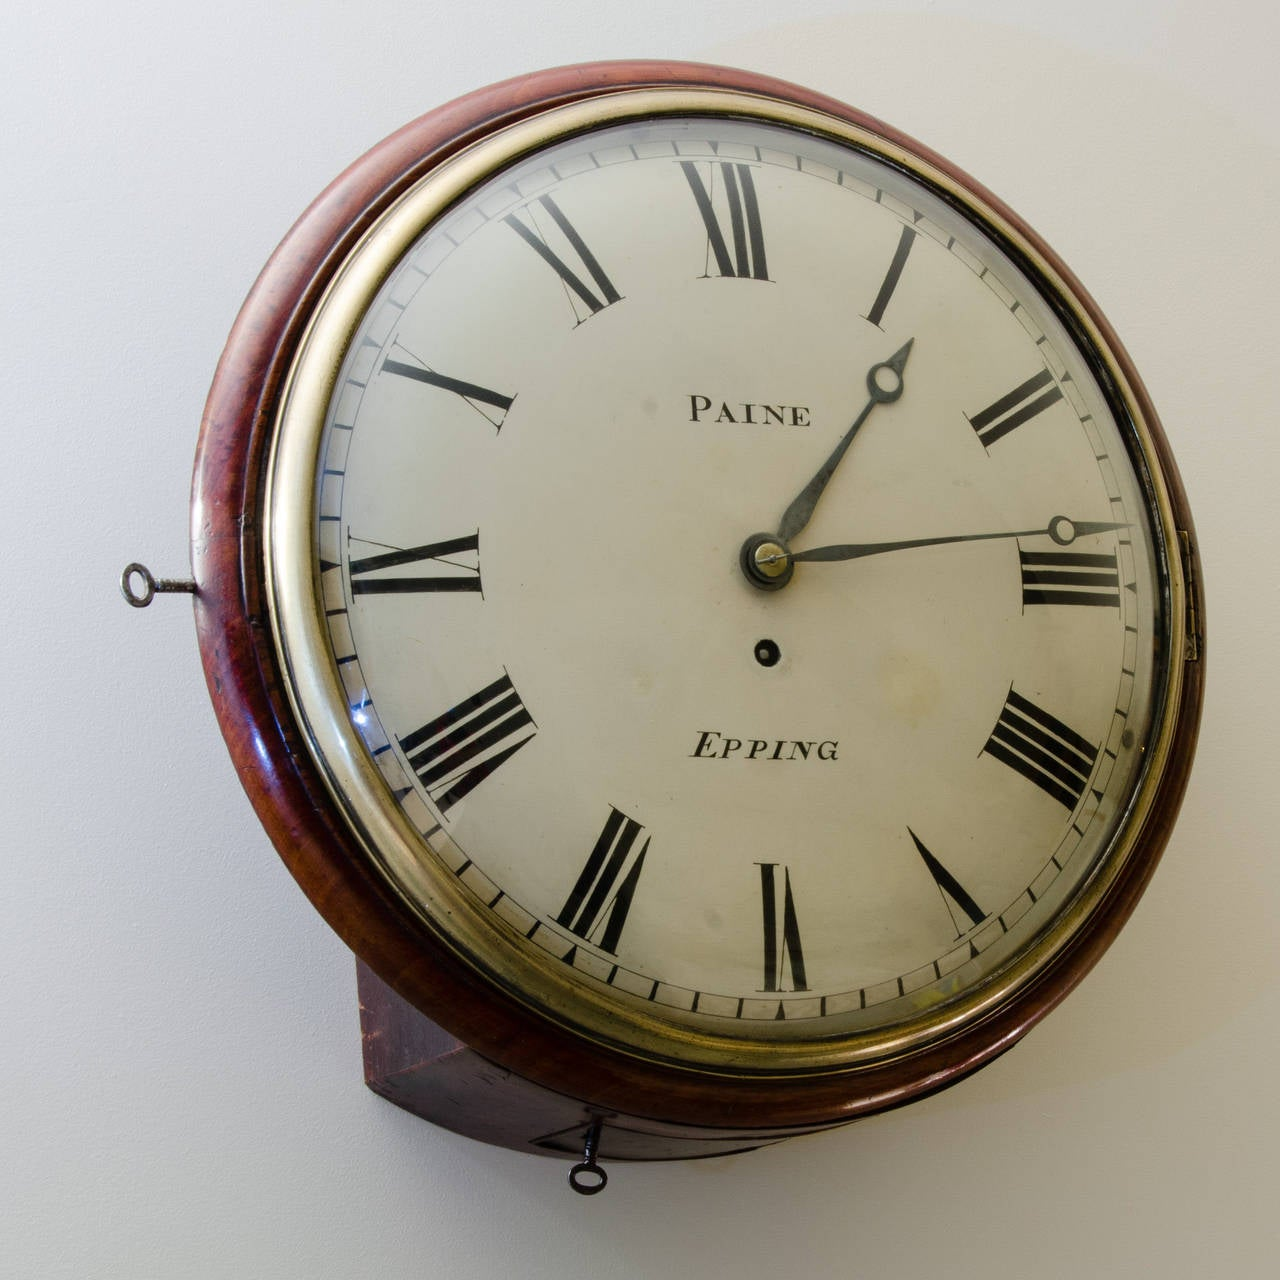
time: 1:13
